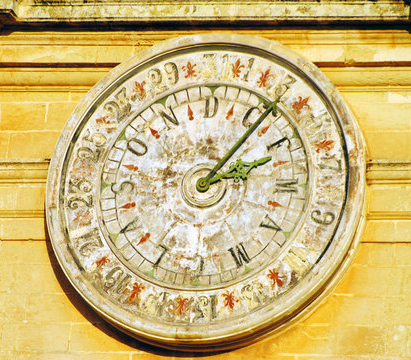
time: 2:06
